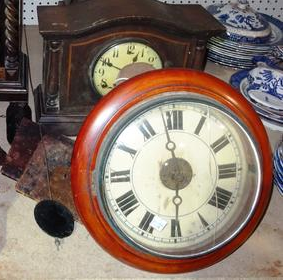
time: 5:58
